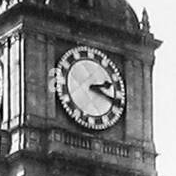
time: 2:18
